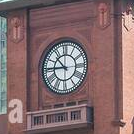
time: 10:45
